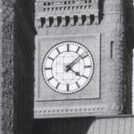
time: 4:08
